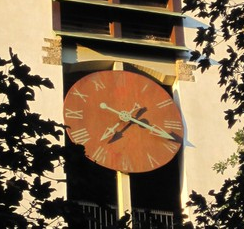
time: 7:18
